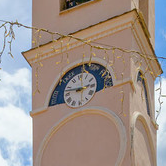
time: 2:46
